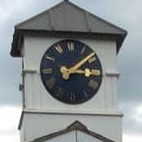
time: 3:08
